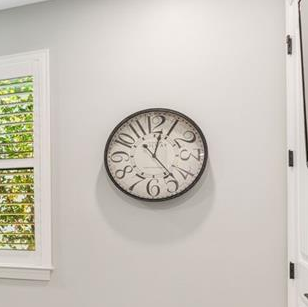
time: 12:23
